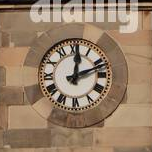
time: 12:11
